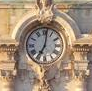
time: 7:01
